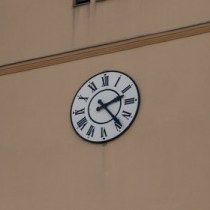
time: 2:23
